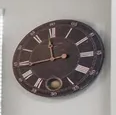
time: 11:43
